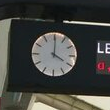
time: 4:00
